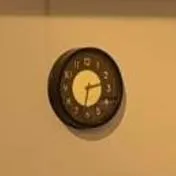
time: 2:32
